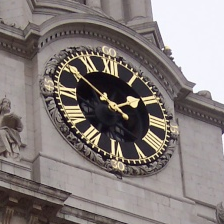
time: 1:50
